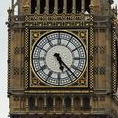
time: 5:22
